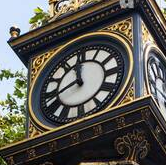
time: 11:41
